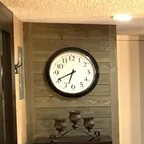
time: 6:40
